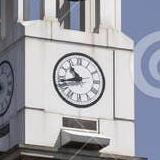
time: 10:42
